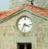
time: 3:35
